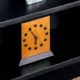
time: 5:54
